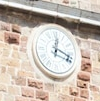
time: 12:18
